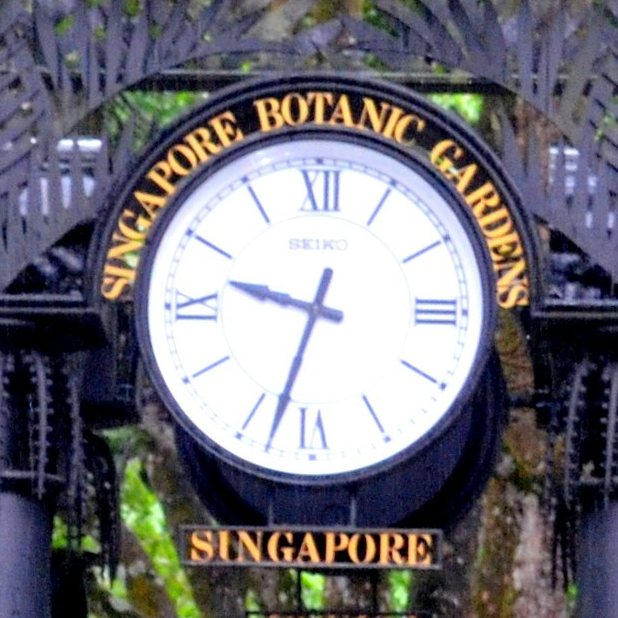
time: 9:33
